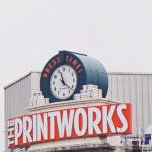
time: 11:21
